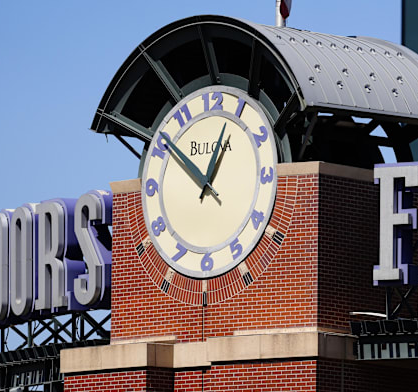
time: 12:51
